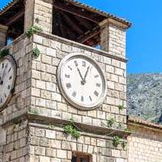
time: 11:03
